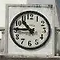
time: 10:45
